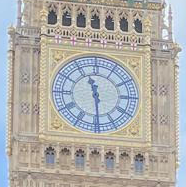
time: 11:29
